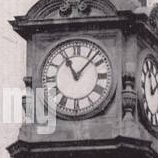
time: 11:07
